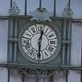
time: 12:30
